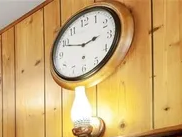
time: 2:48
